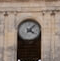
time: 4:07
